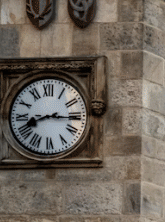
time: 8:15
